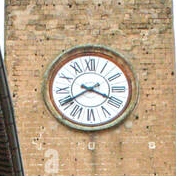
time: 3:40
